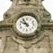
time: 9:54
